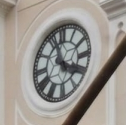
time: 3:57
